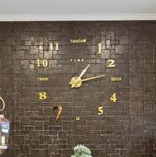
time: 1:13
